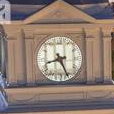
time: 8:26
